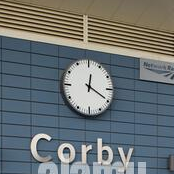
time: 12:19
